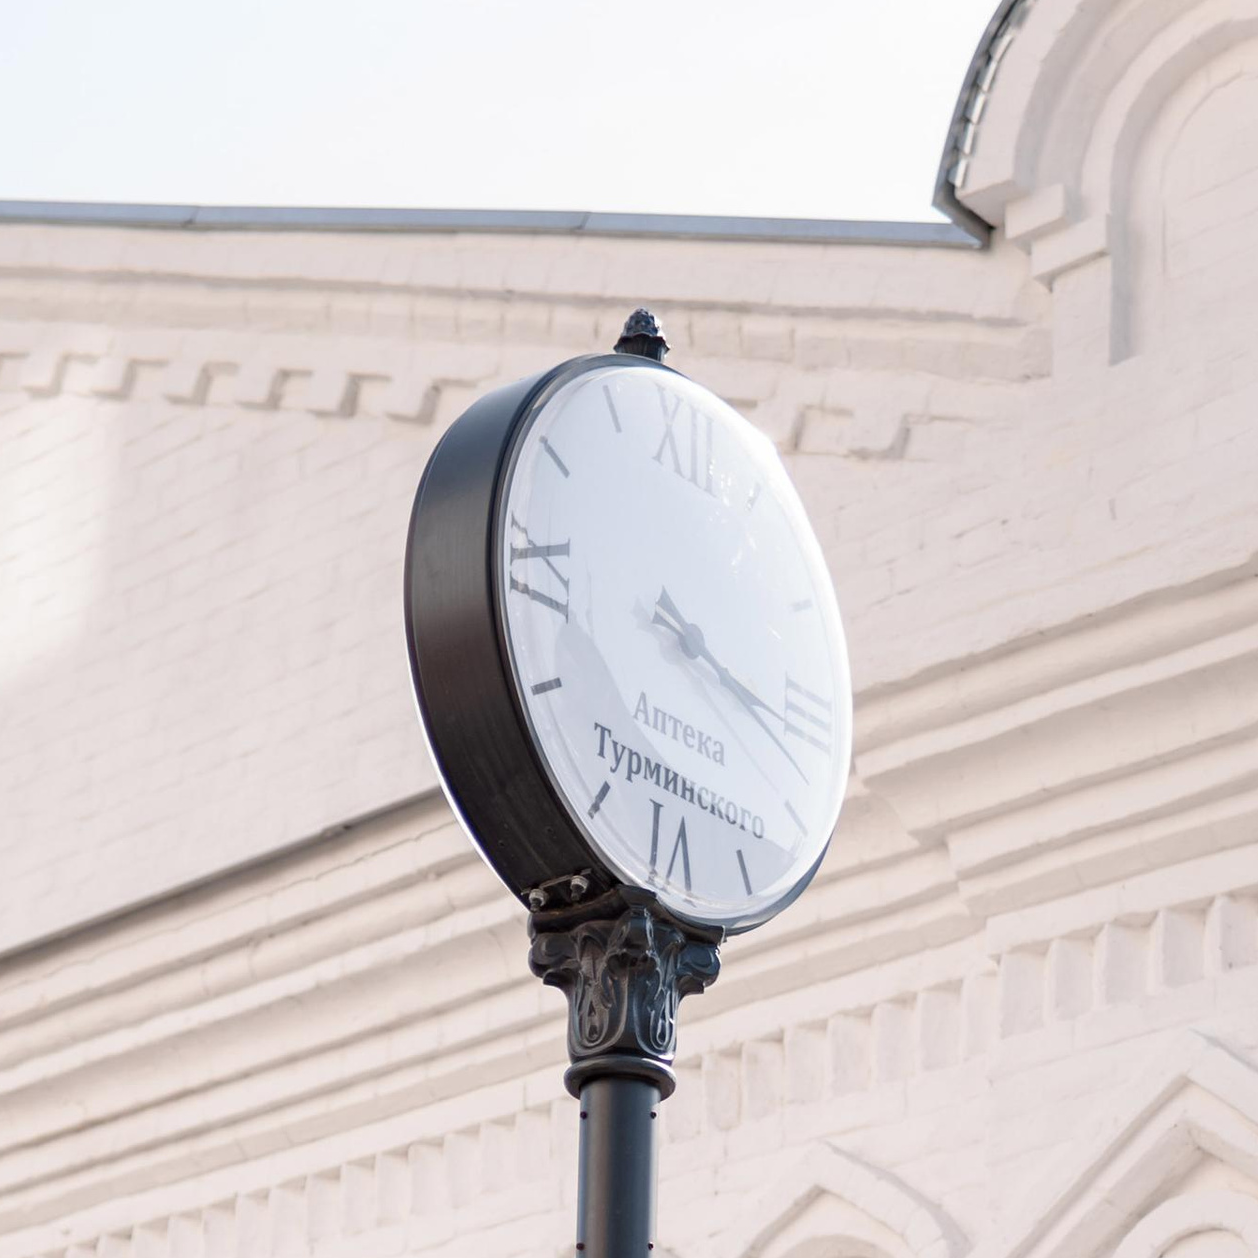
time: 3:17
